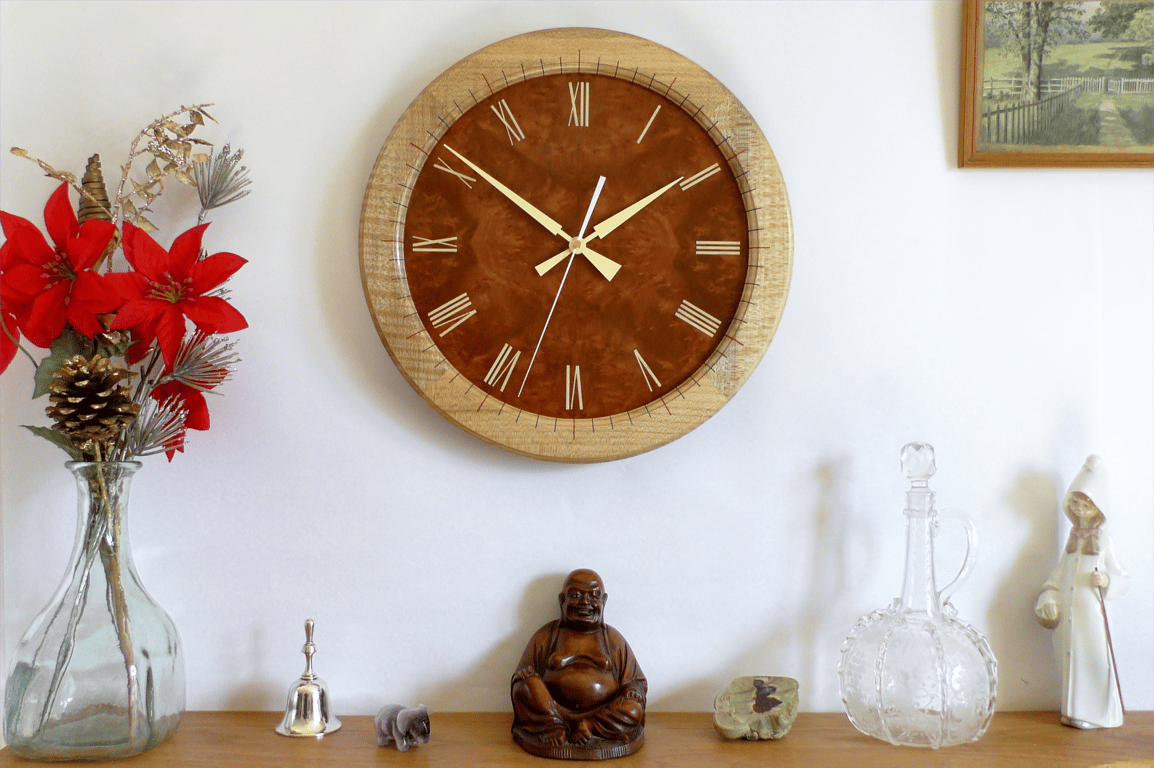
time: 1:51
